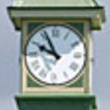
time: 9:55
